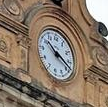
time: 10:18
